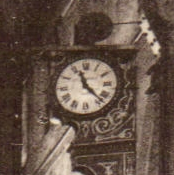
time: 11:22
